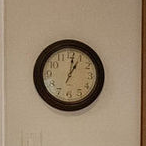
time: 1:01
